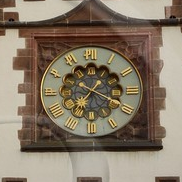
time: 7:18
